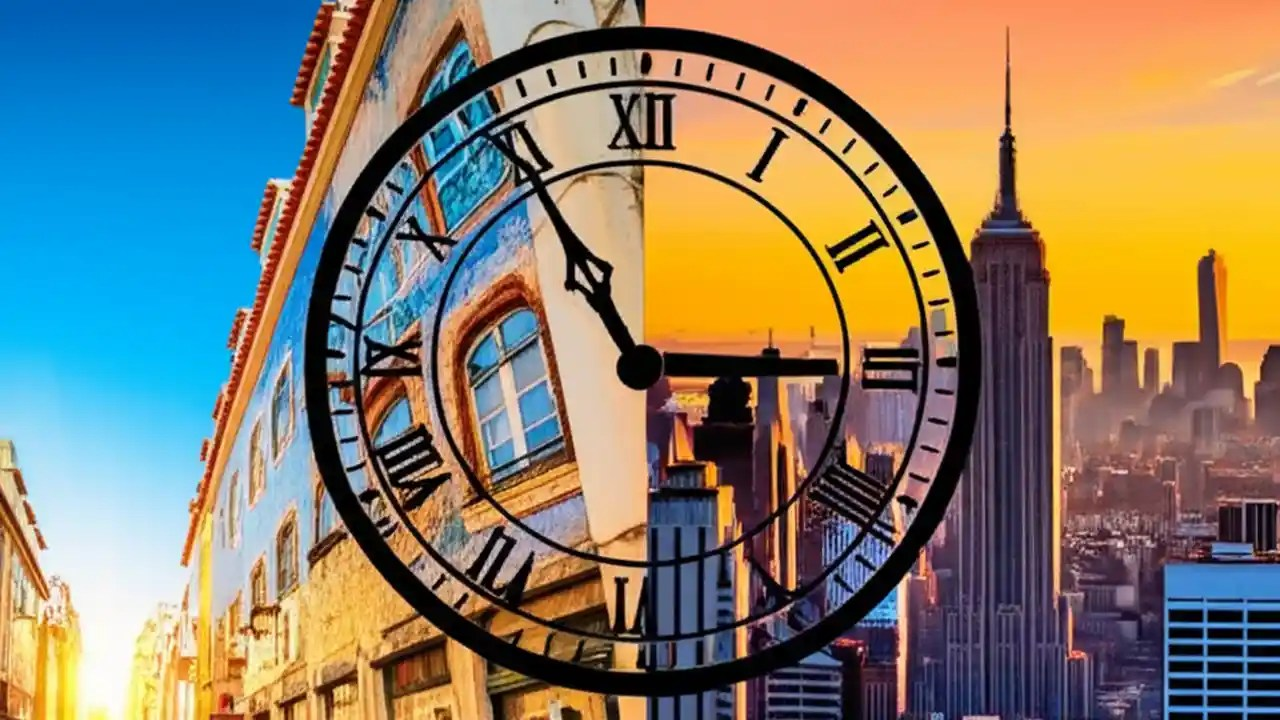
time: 2:54
